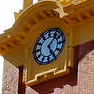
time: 1:24
